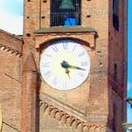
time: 5:17
